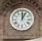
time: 12:04
